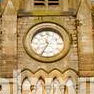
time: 11:34
